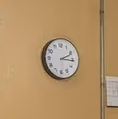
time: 2:16
